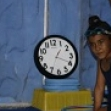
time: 1:19
